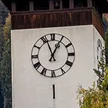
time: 12:56
